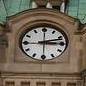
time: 2:44
